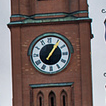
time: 1:06
